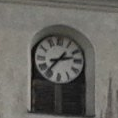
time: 2:36
